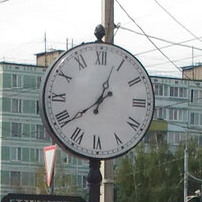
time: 12:38
